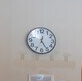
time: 12:24
